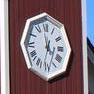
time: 12:58
